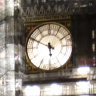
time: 5:49
